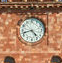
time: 4:42
